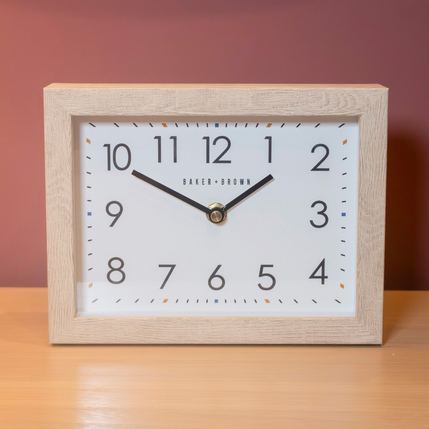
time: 1:50
